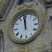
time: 11:59
